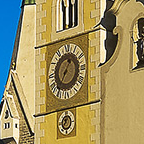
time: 12:34
